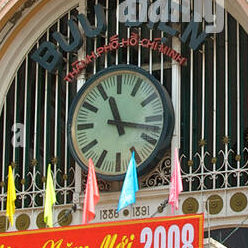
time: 11:17
